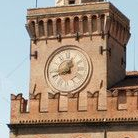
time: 12:42
